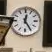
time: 12:24
